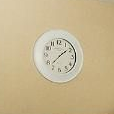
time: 1:37
